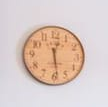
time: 12:28
